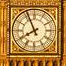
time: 7:55
